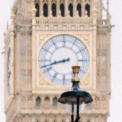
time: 8:42
